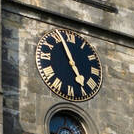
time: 4:56
